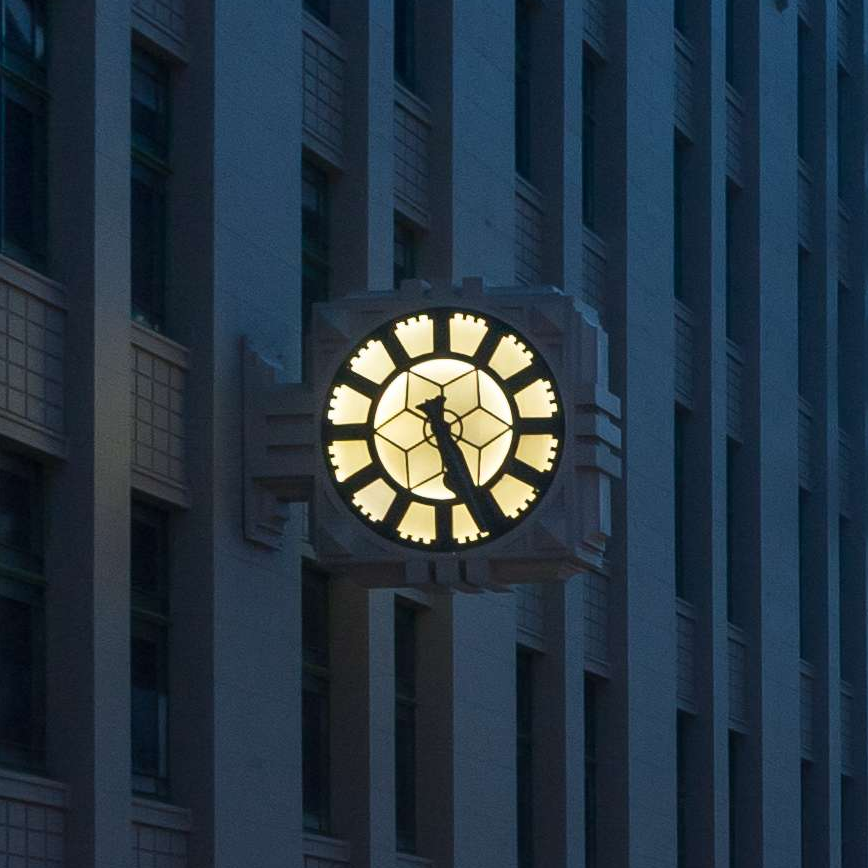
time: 5:26
